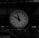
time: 9:57
